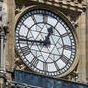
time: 12:44
